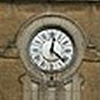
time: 12:21
